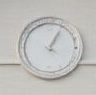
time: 1:04
